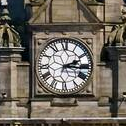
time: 2:15
